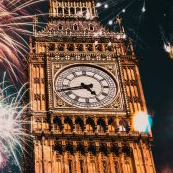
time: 4:42
